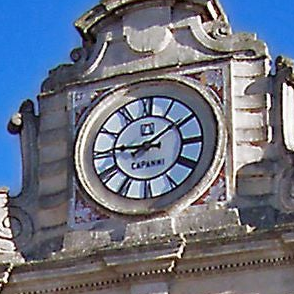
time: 9:09
